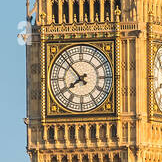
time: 7:52
